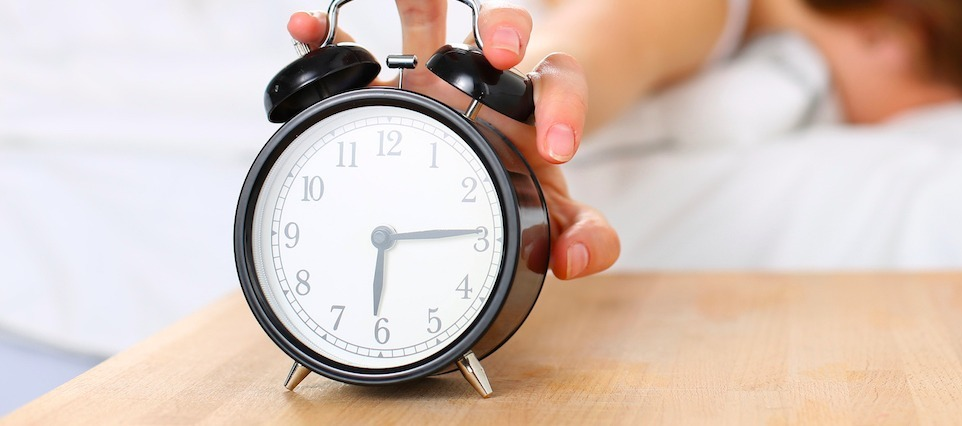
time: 6:14
